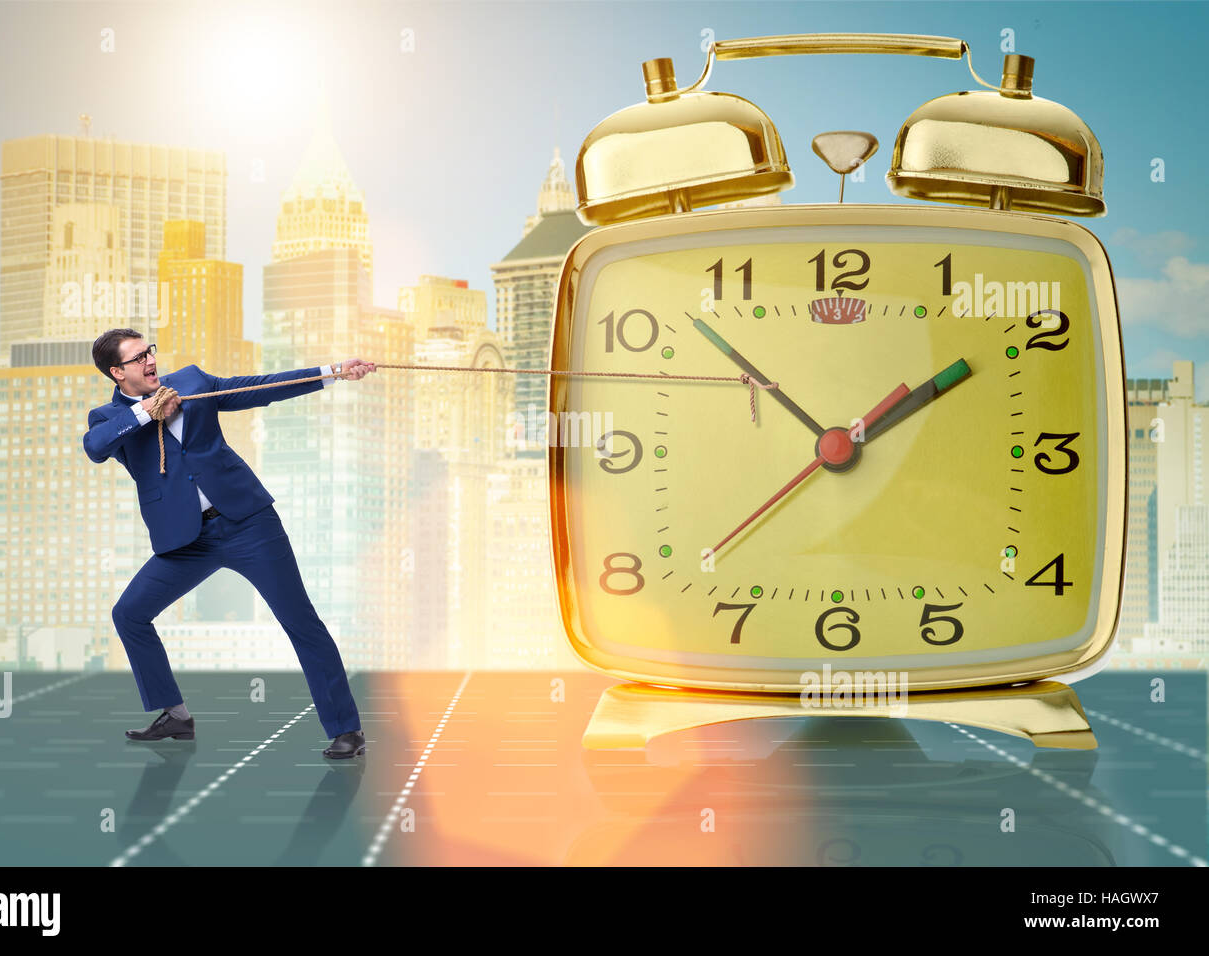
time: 1:52
